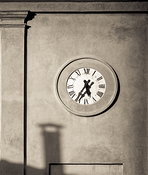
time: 5:35
